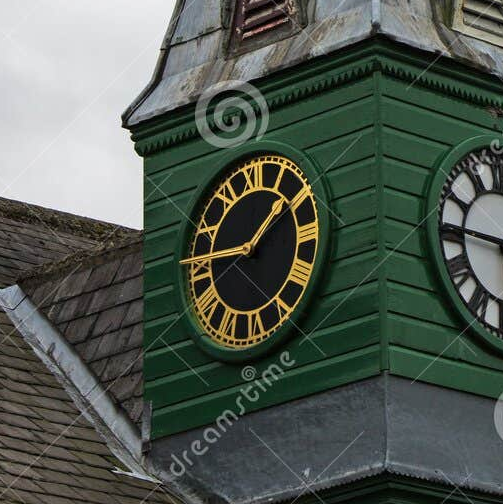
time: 1:46
